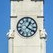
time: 1:20
